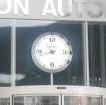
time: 10:41
